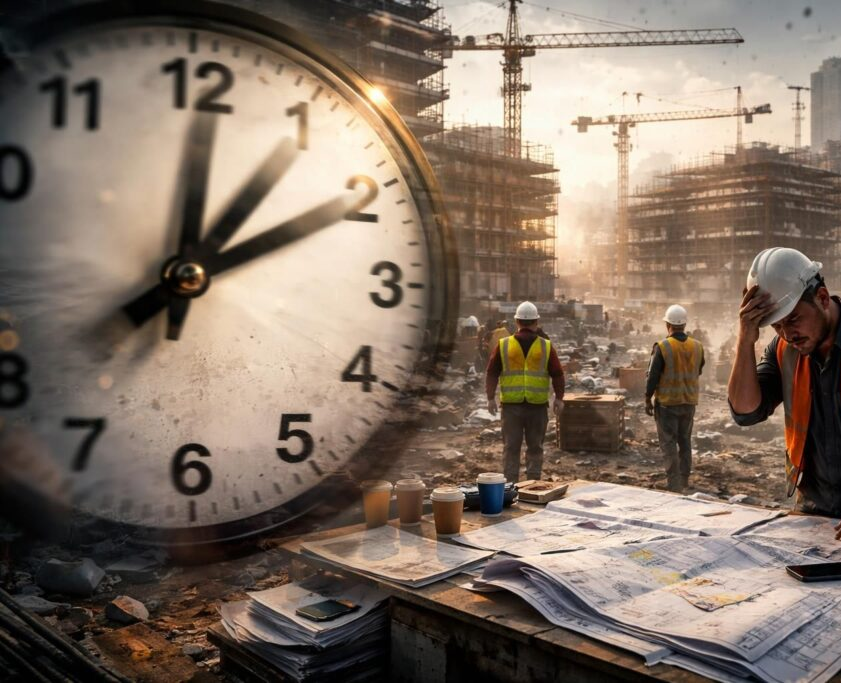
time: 1:10
